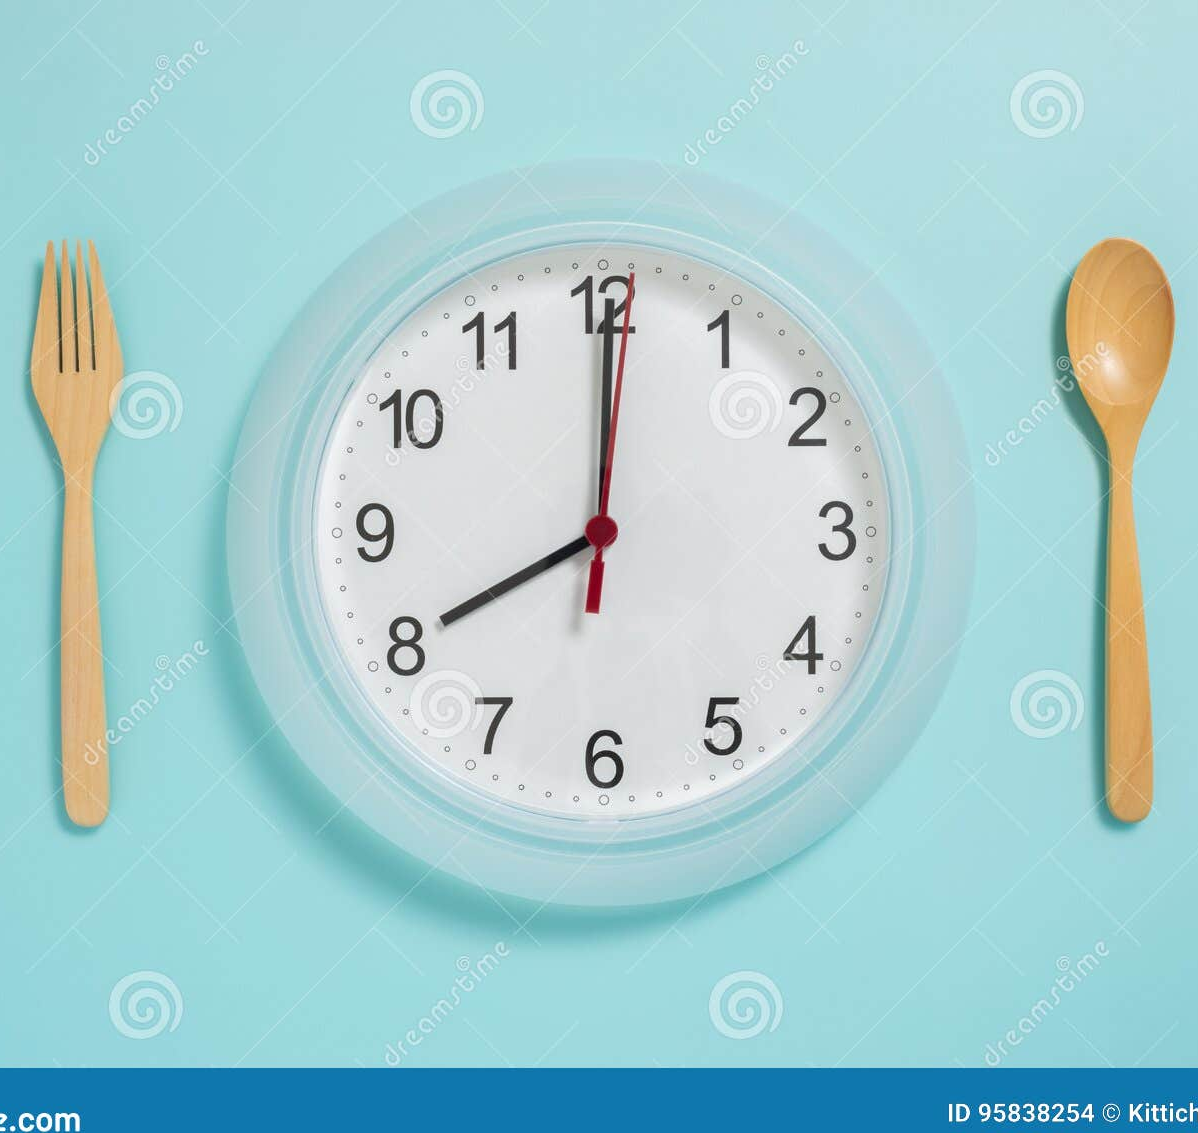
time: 8:00
